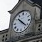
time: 10:21
